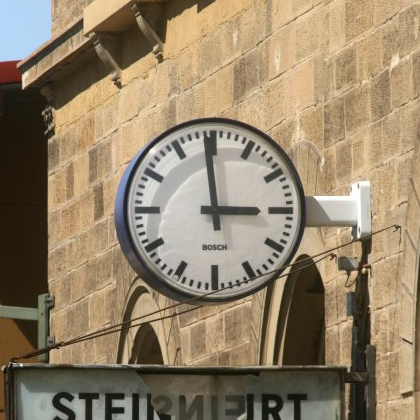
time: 2:58
